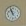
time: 10:56
